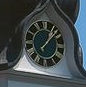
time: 1:07
